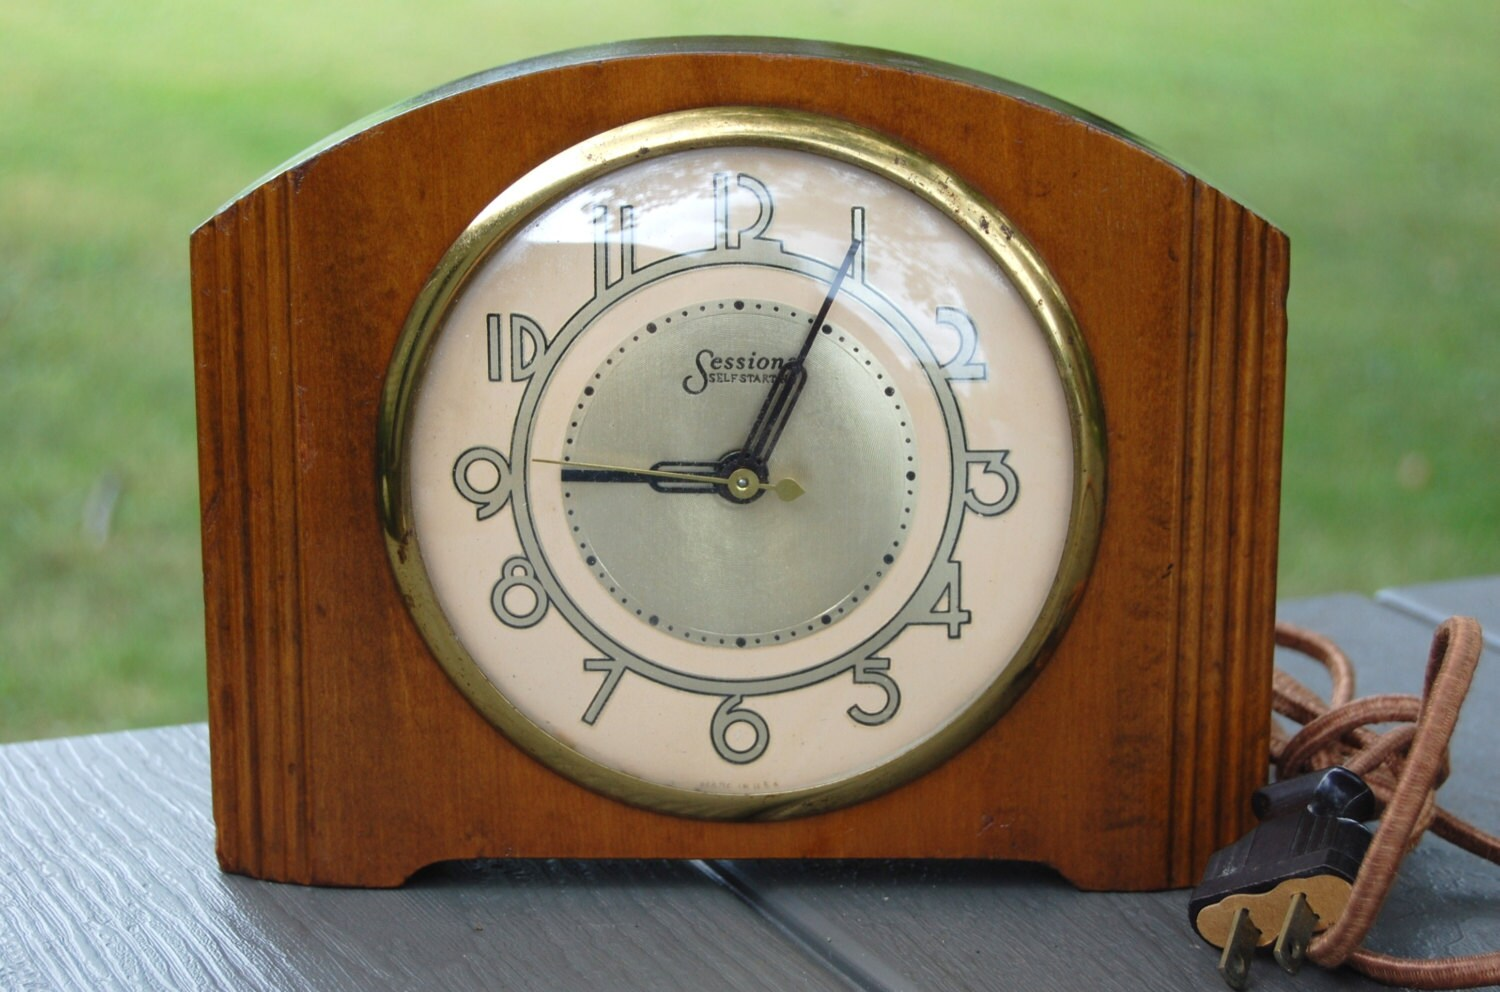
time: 9:04
